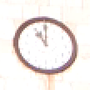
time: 11:00
